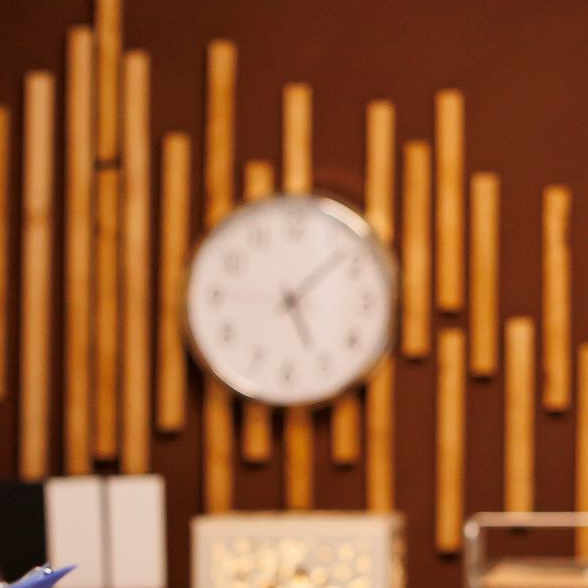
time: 5:07
